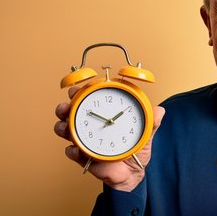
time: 1:50
